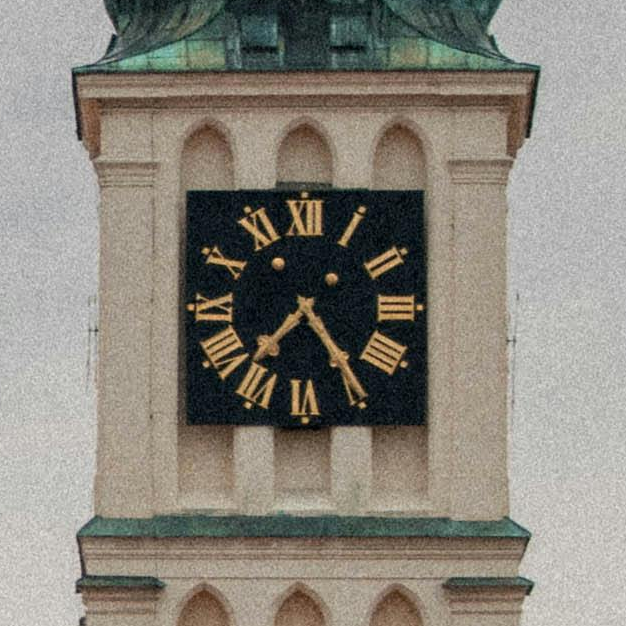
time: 7:24
